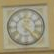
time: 12:23
